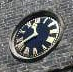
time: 11:40
